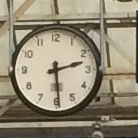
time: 2:29
